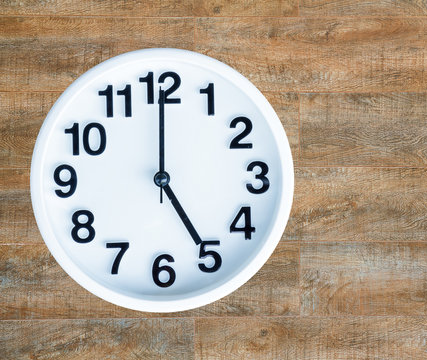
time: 5:00
